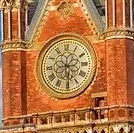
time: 2:29
